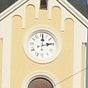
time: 12:13
